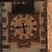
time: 5:42
